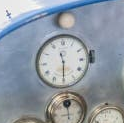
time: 11:29
